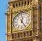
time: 12:24
